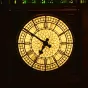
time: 6:50
